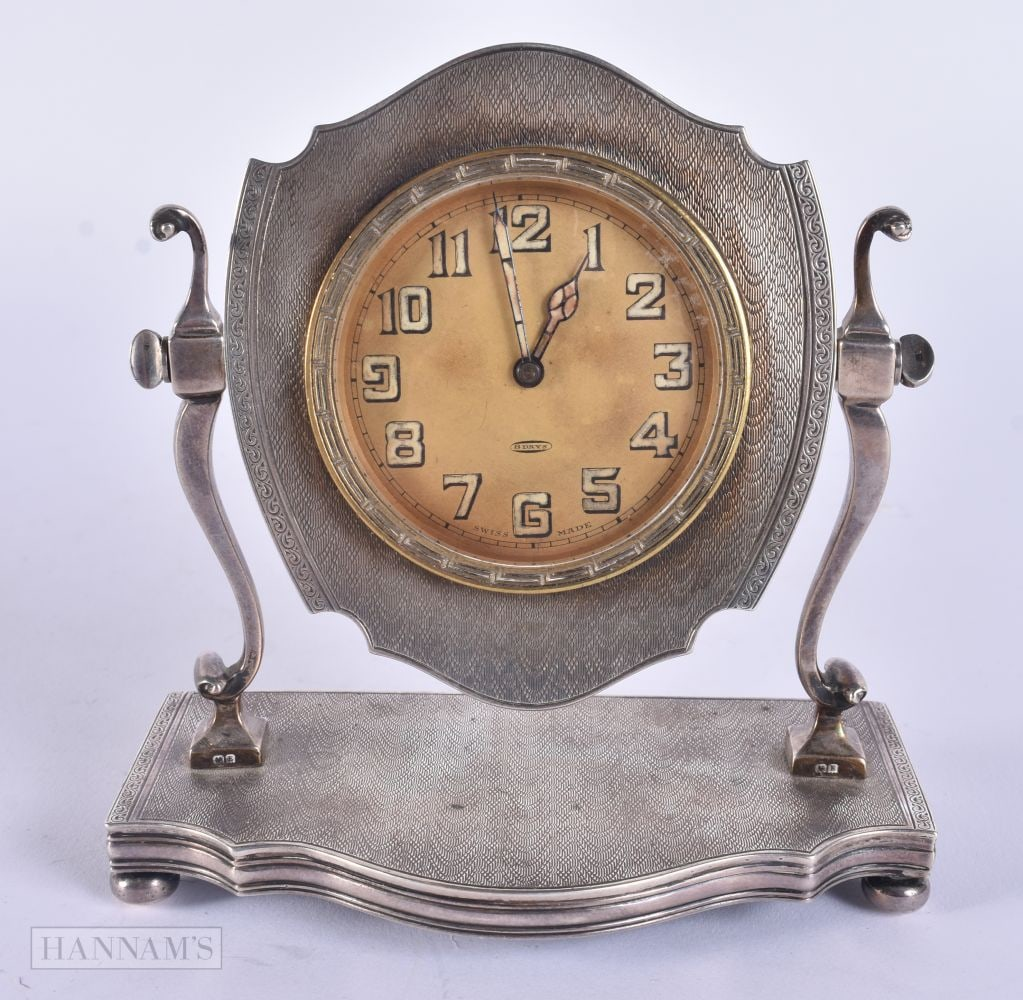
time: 12:58
